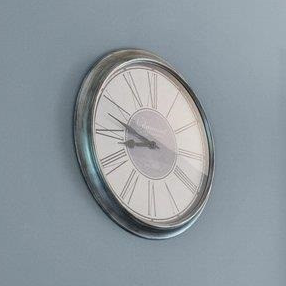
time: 8:47
